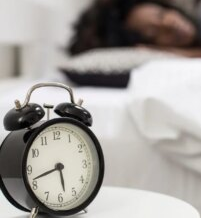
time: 5:42
